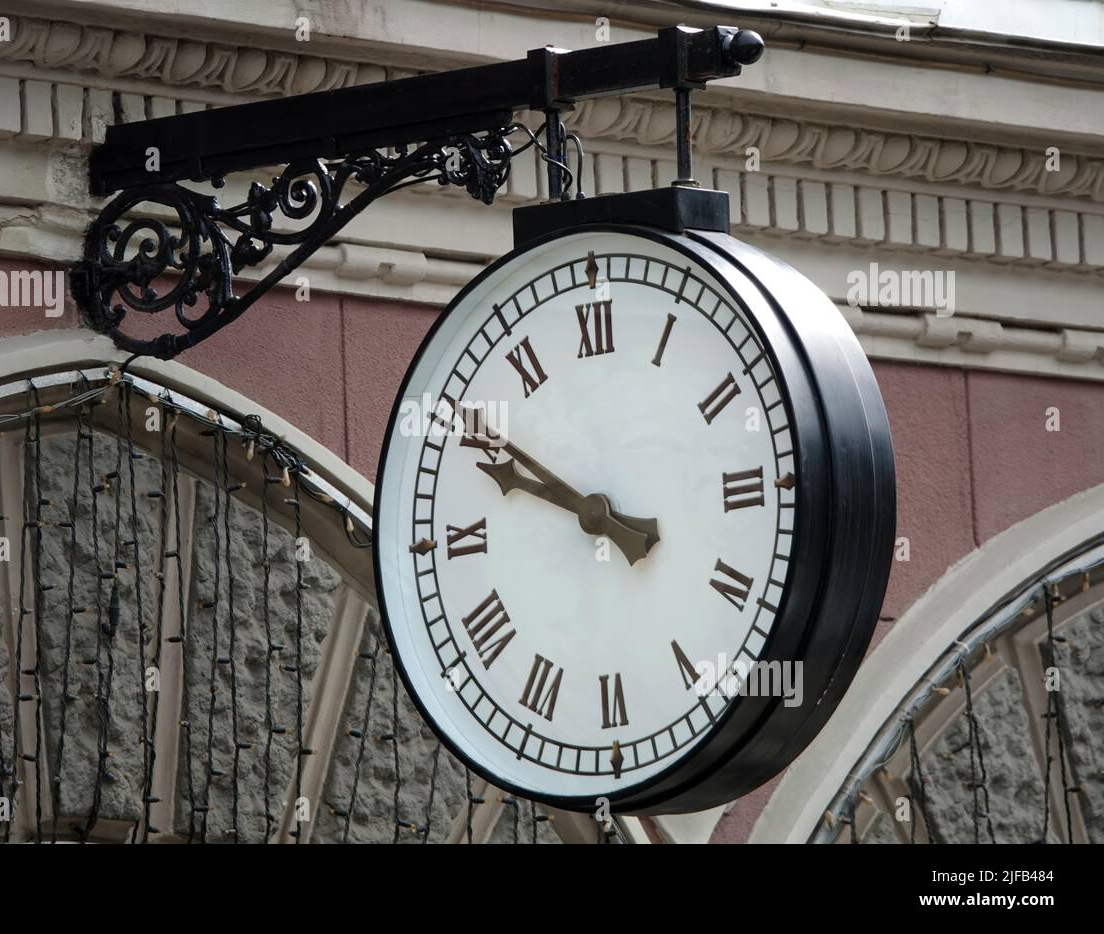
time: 9:50
